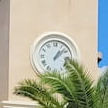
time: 1:07
